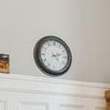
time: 2:23
